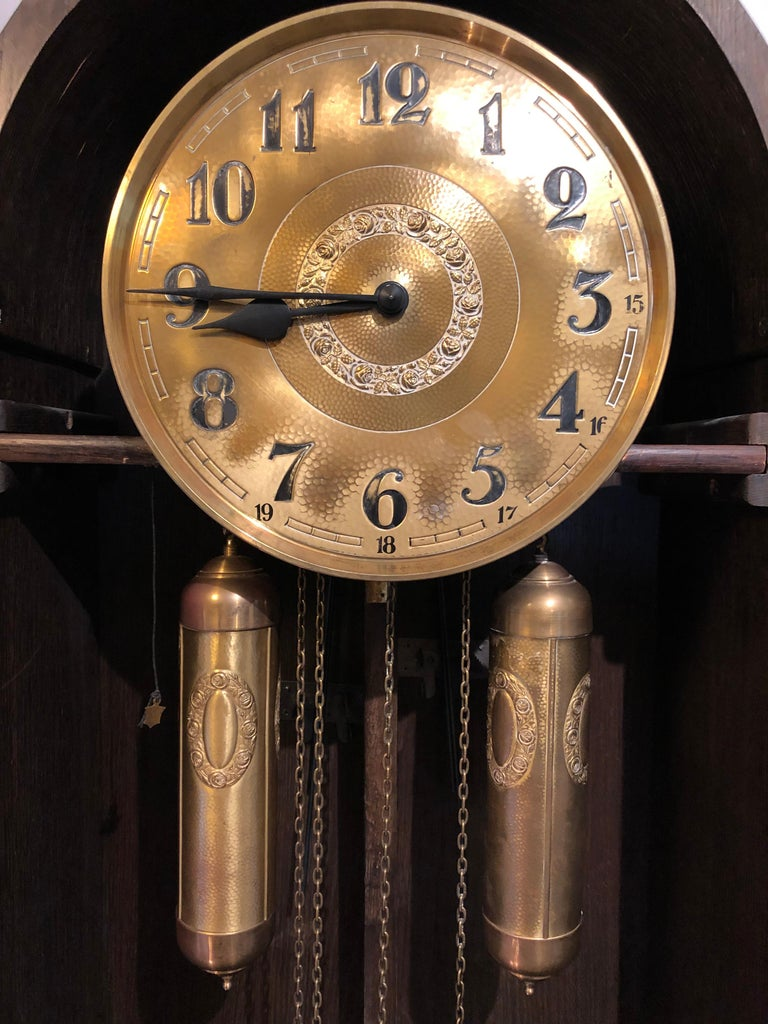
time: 8:45
